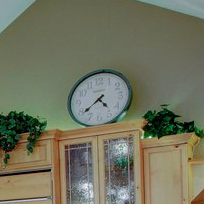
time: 4:38
